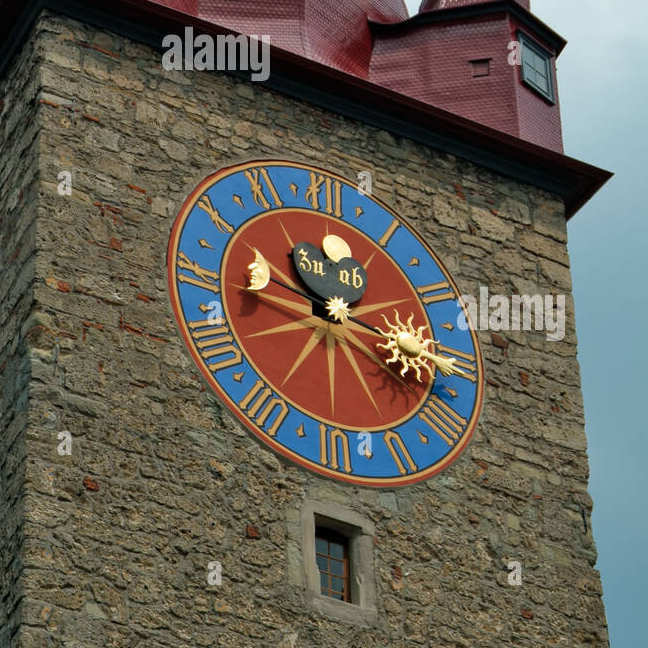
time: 10:17
